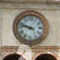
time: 9:48
